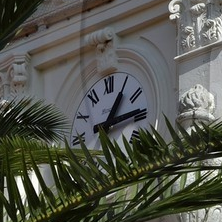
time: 1:13
